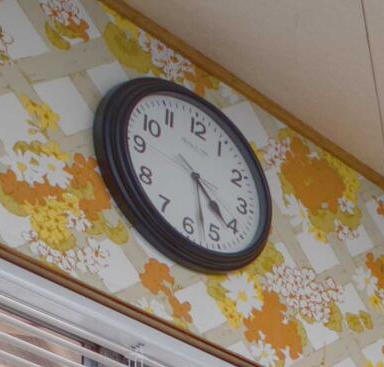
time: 4:26
